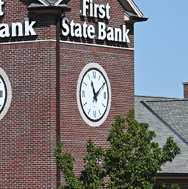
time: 11:09
